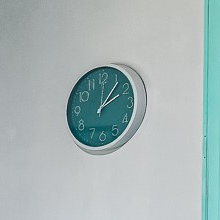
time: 2:06
